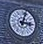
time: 3:02
